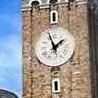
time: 1:56
